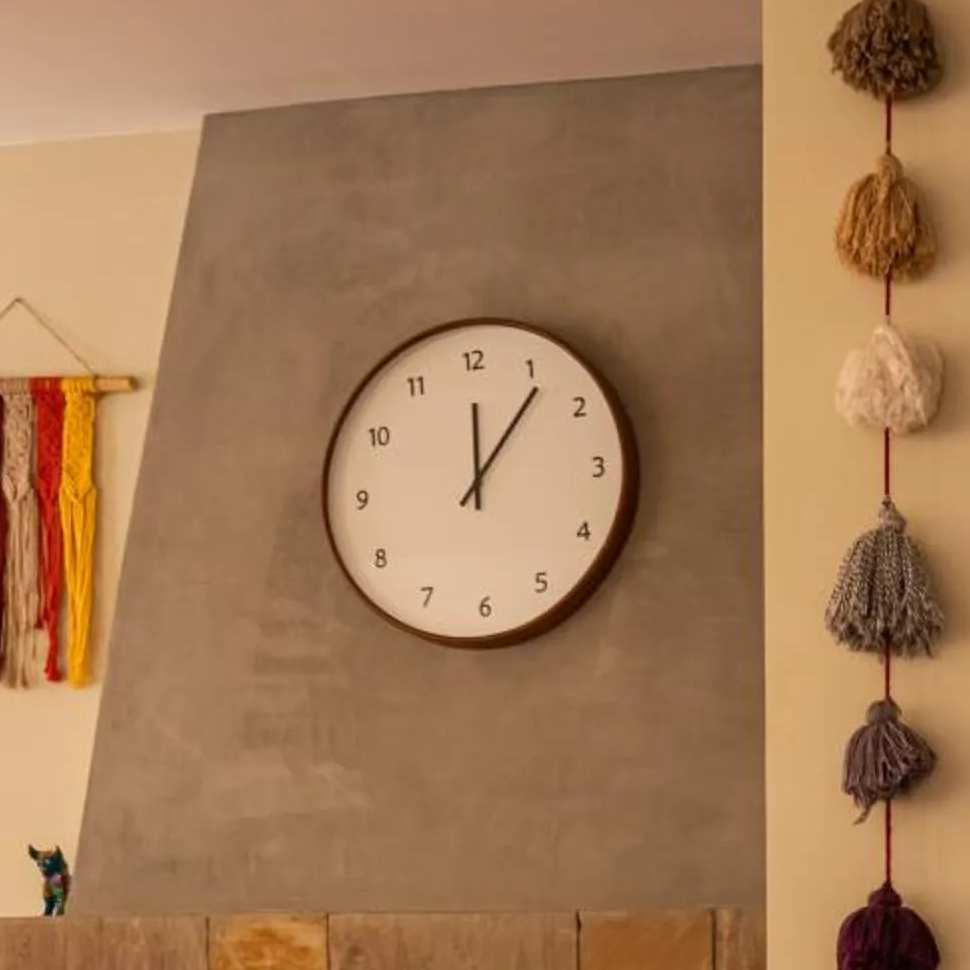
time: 12:06
